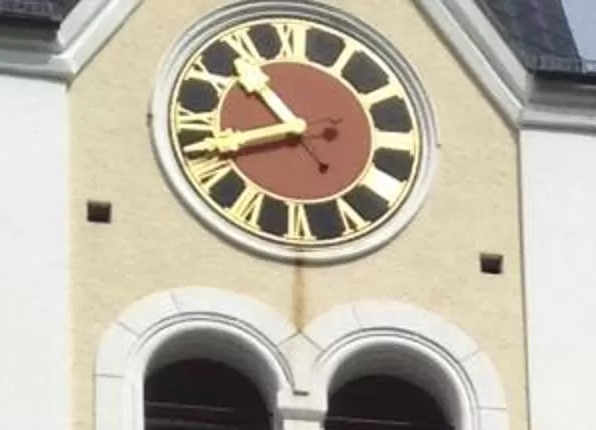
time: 10:42
